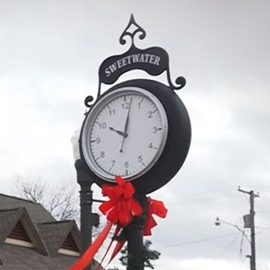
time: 10:01
